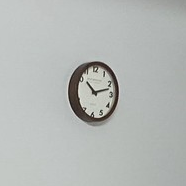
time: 10:12
